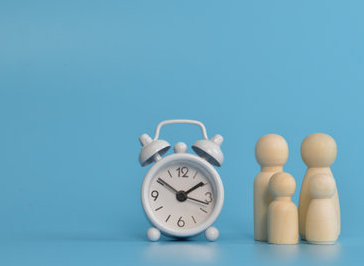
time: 1:50
